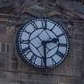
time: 2:29
